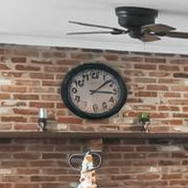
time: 3:08
